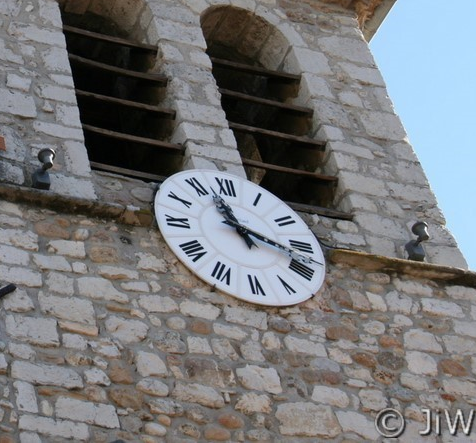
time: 11:17
